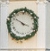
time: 3:50
